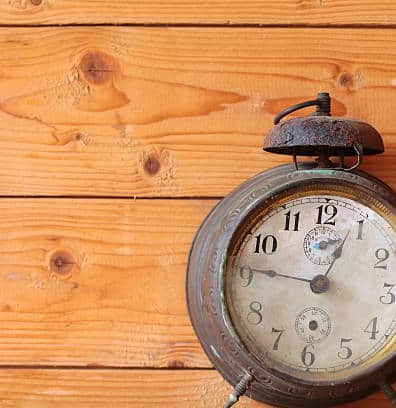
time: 12:46
